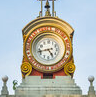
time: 4:42
